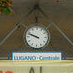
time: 9:48
